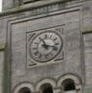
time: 11:17
